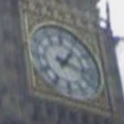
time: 1:17
